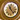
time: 11:23
